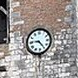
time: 9:23
